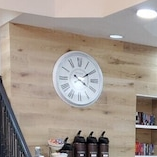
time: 4:10
